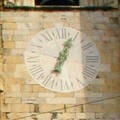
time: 7:04
